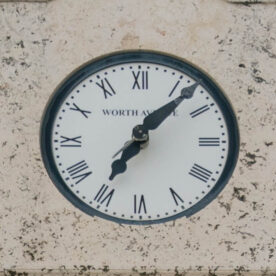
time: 7:07
